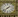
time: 1:38
